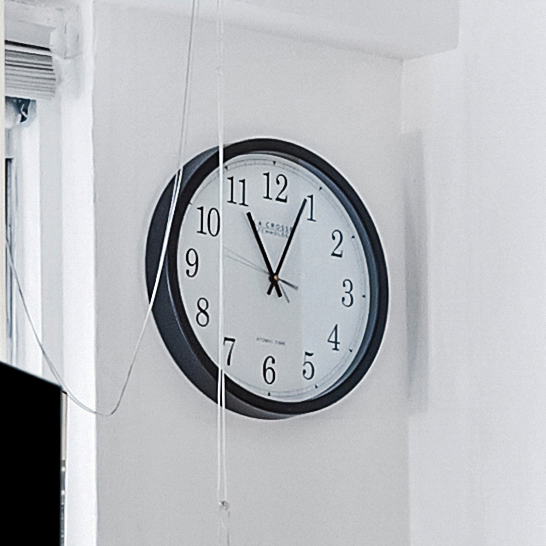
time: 11:03
